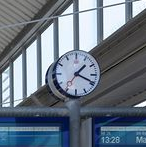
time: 1:18
